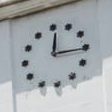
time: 12:15
